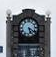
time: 5:20
